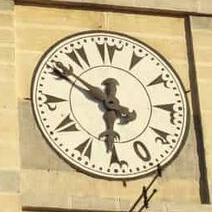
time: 5:50
